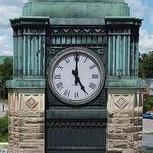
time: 5:00
